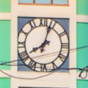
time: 8:03
